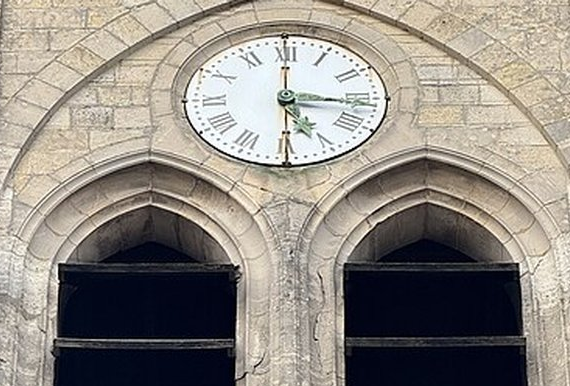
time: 5:16
